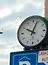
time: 10:03
